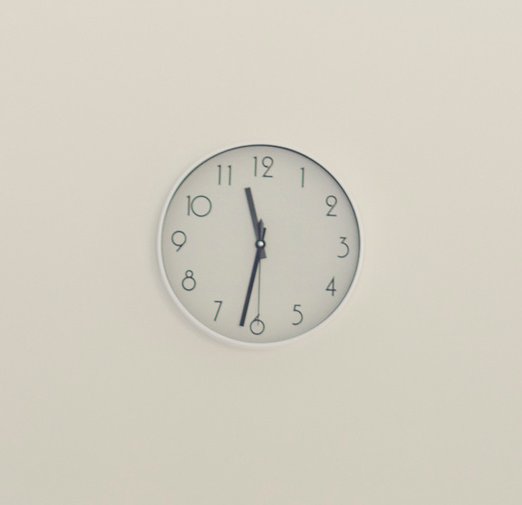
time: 11:31
